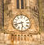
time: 5:42
